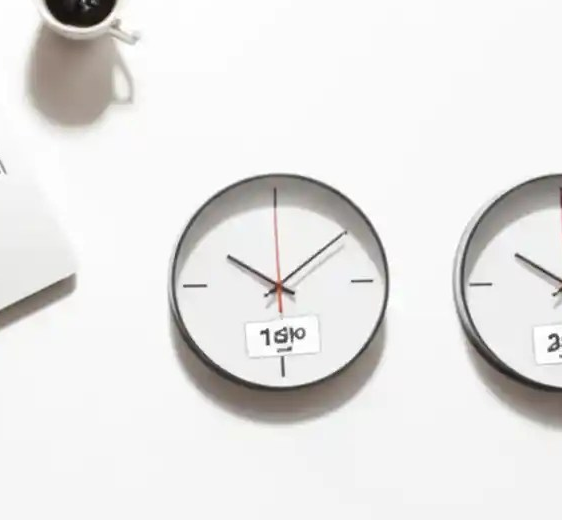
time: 10:08
